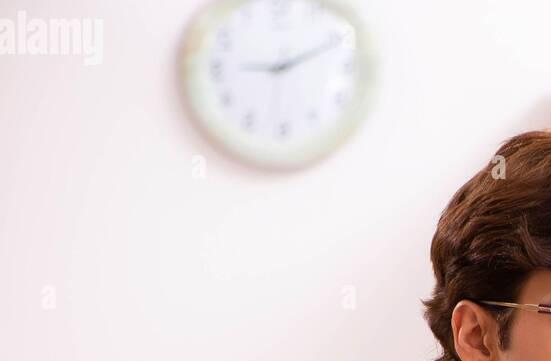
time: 9:10
